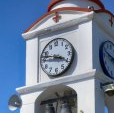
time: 3:47
